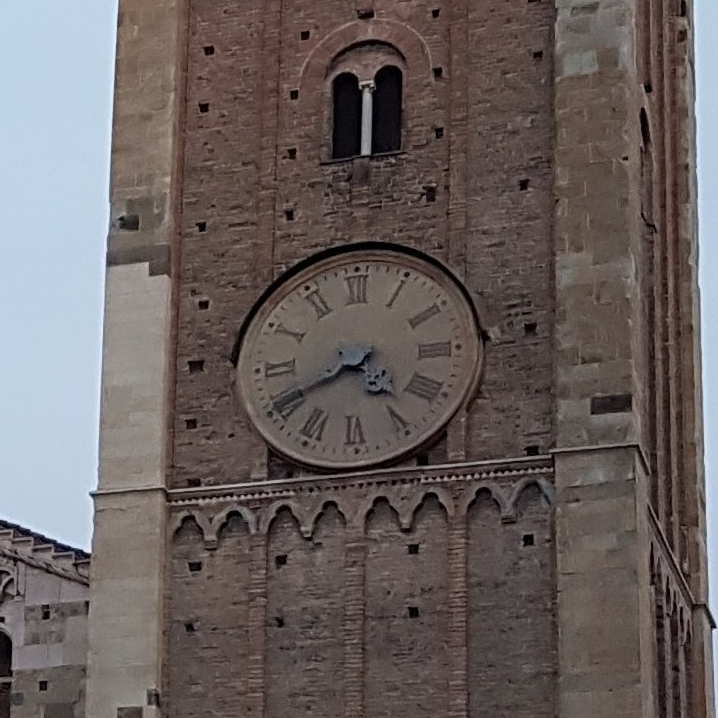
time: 4:40
